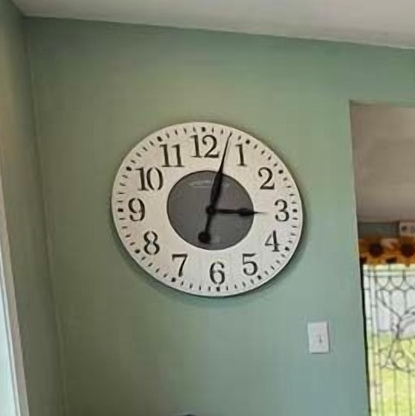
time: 3:02
